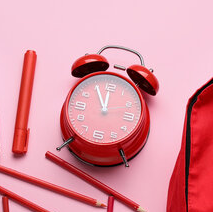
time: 11:55
